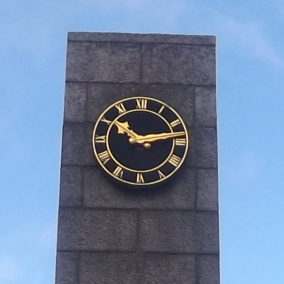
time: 10:13
